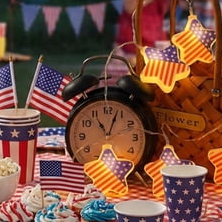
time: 11:03
